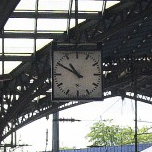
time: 10:50
